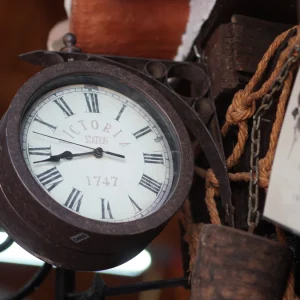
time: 8:42
